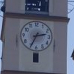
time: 2:34
